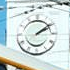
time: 2:09
